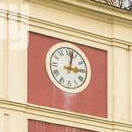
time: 3:02
